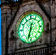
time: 12:32
